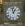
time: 12:57
